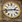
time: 2:42
